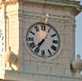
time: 7:35
